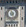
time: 8:57
